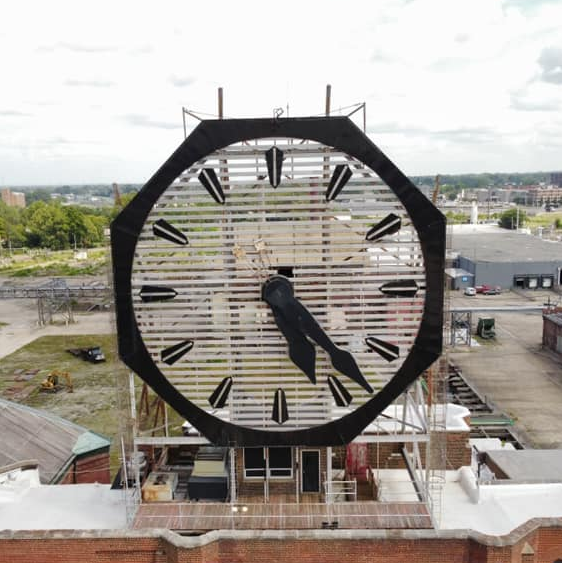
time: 5:23
